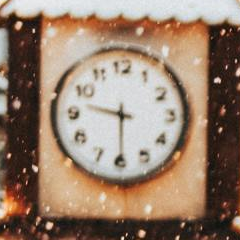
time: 9:29
